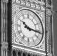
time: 10:16
